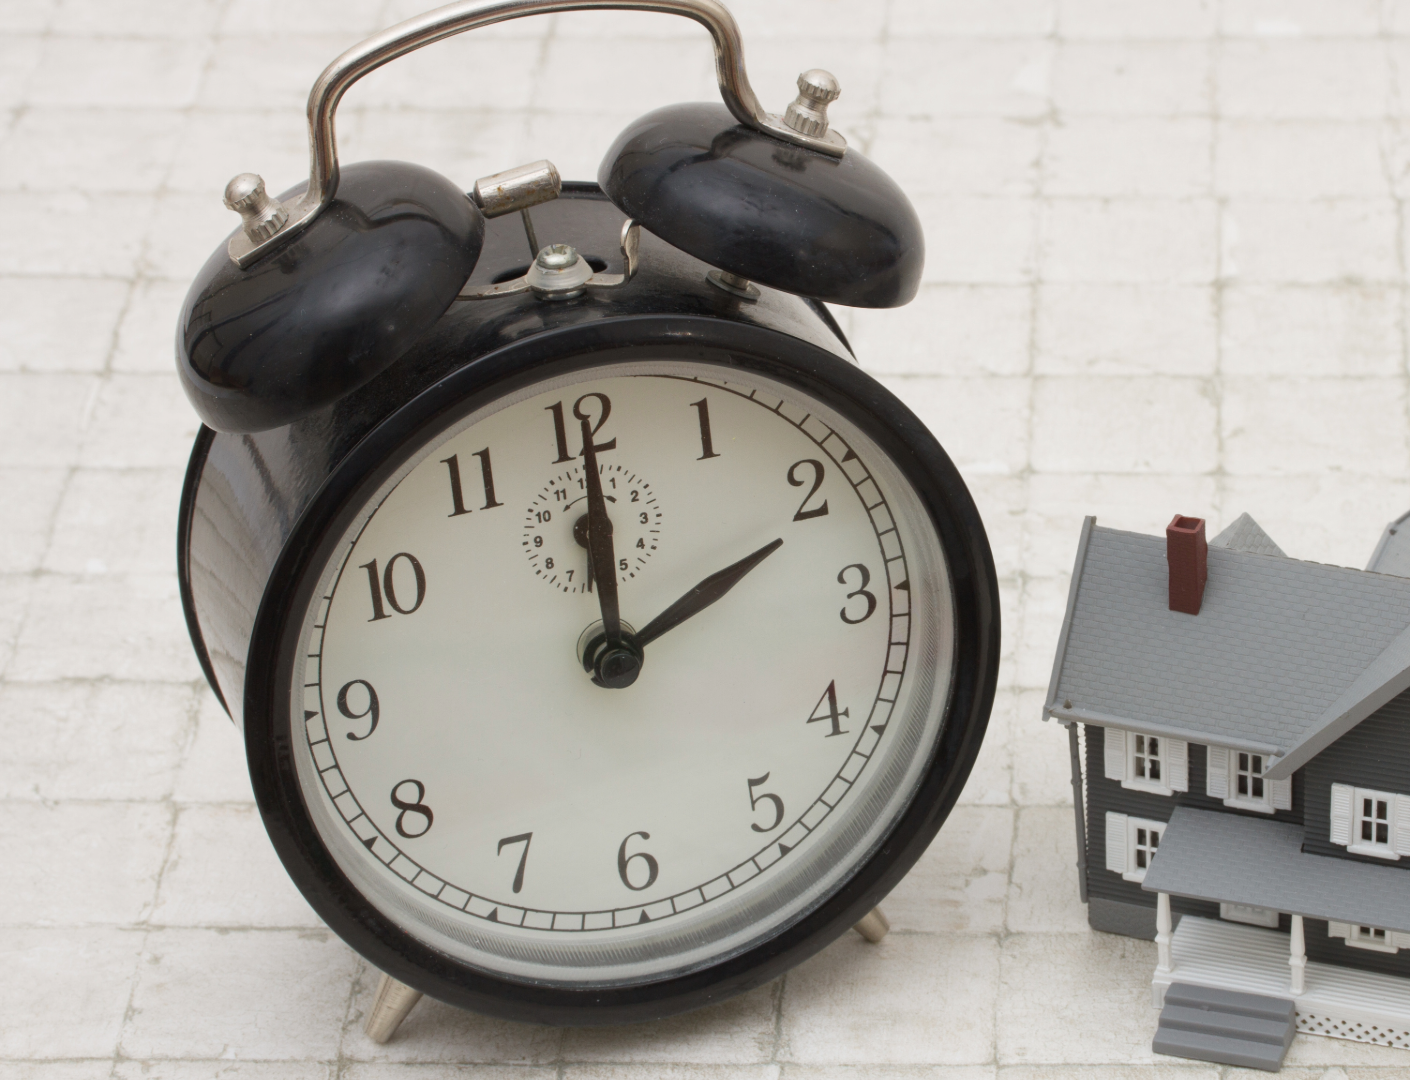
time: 2:00
